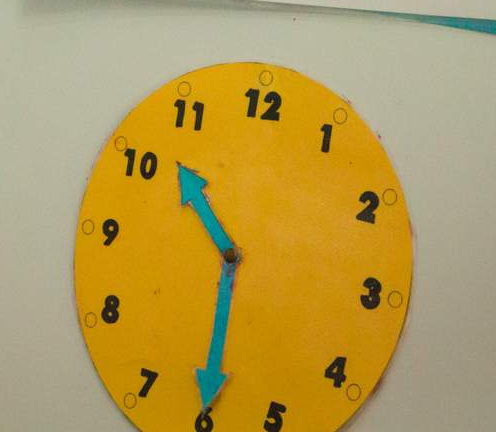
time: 10:29
